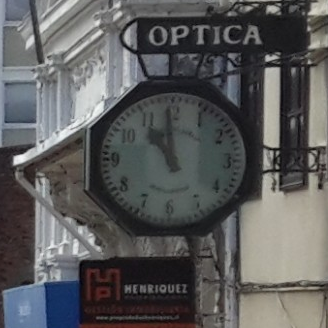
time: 10:59
